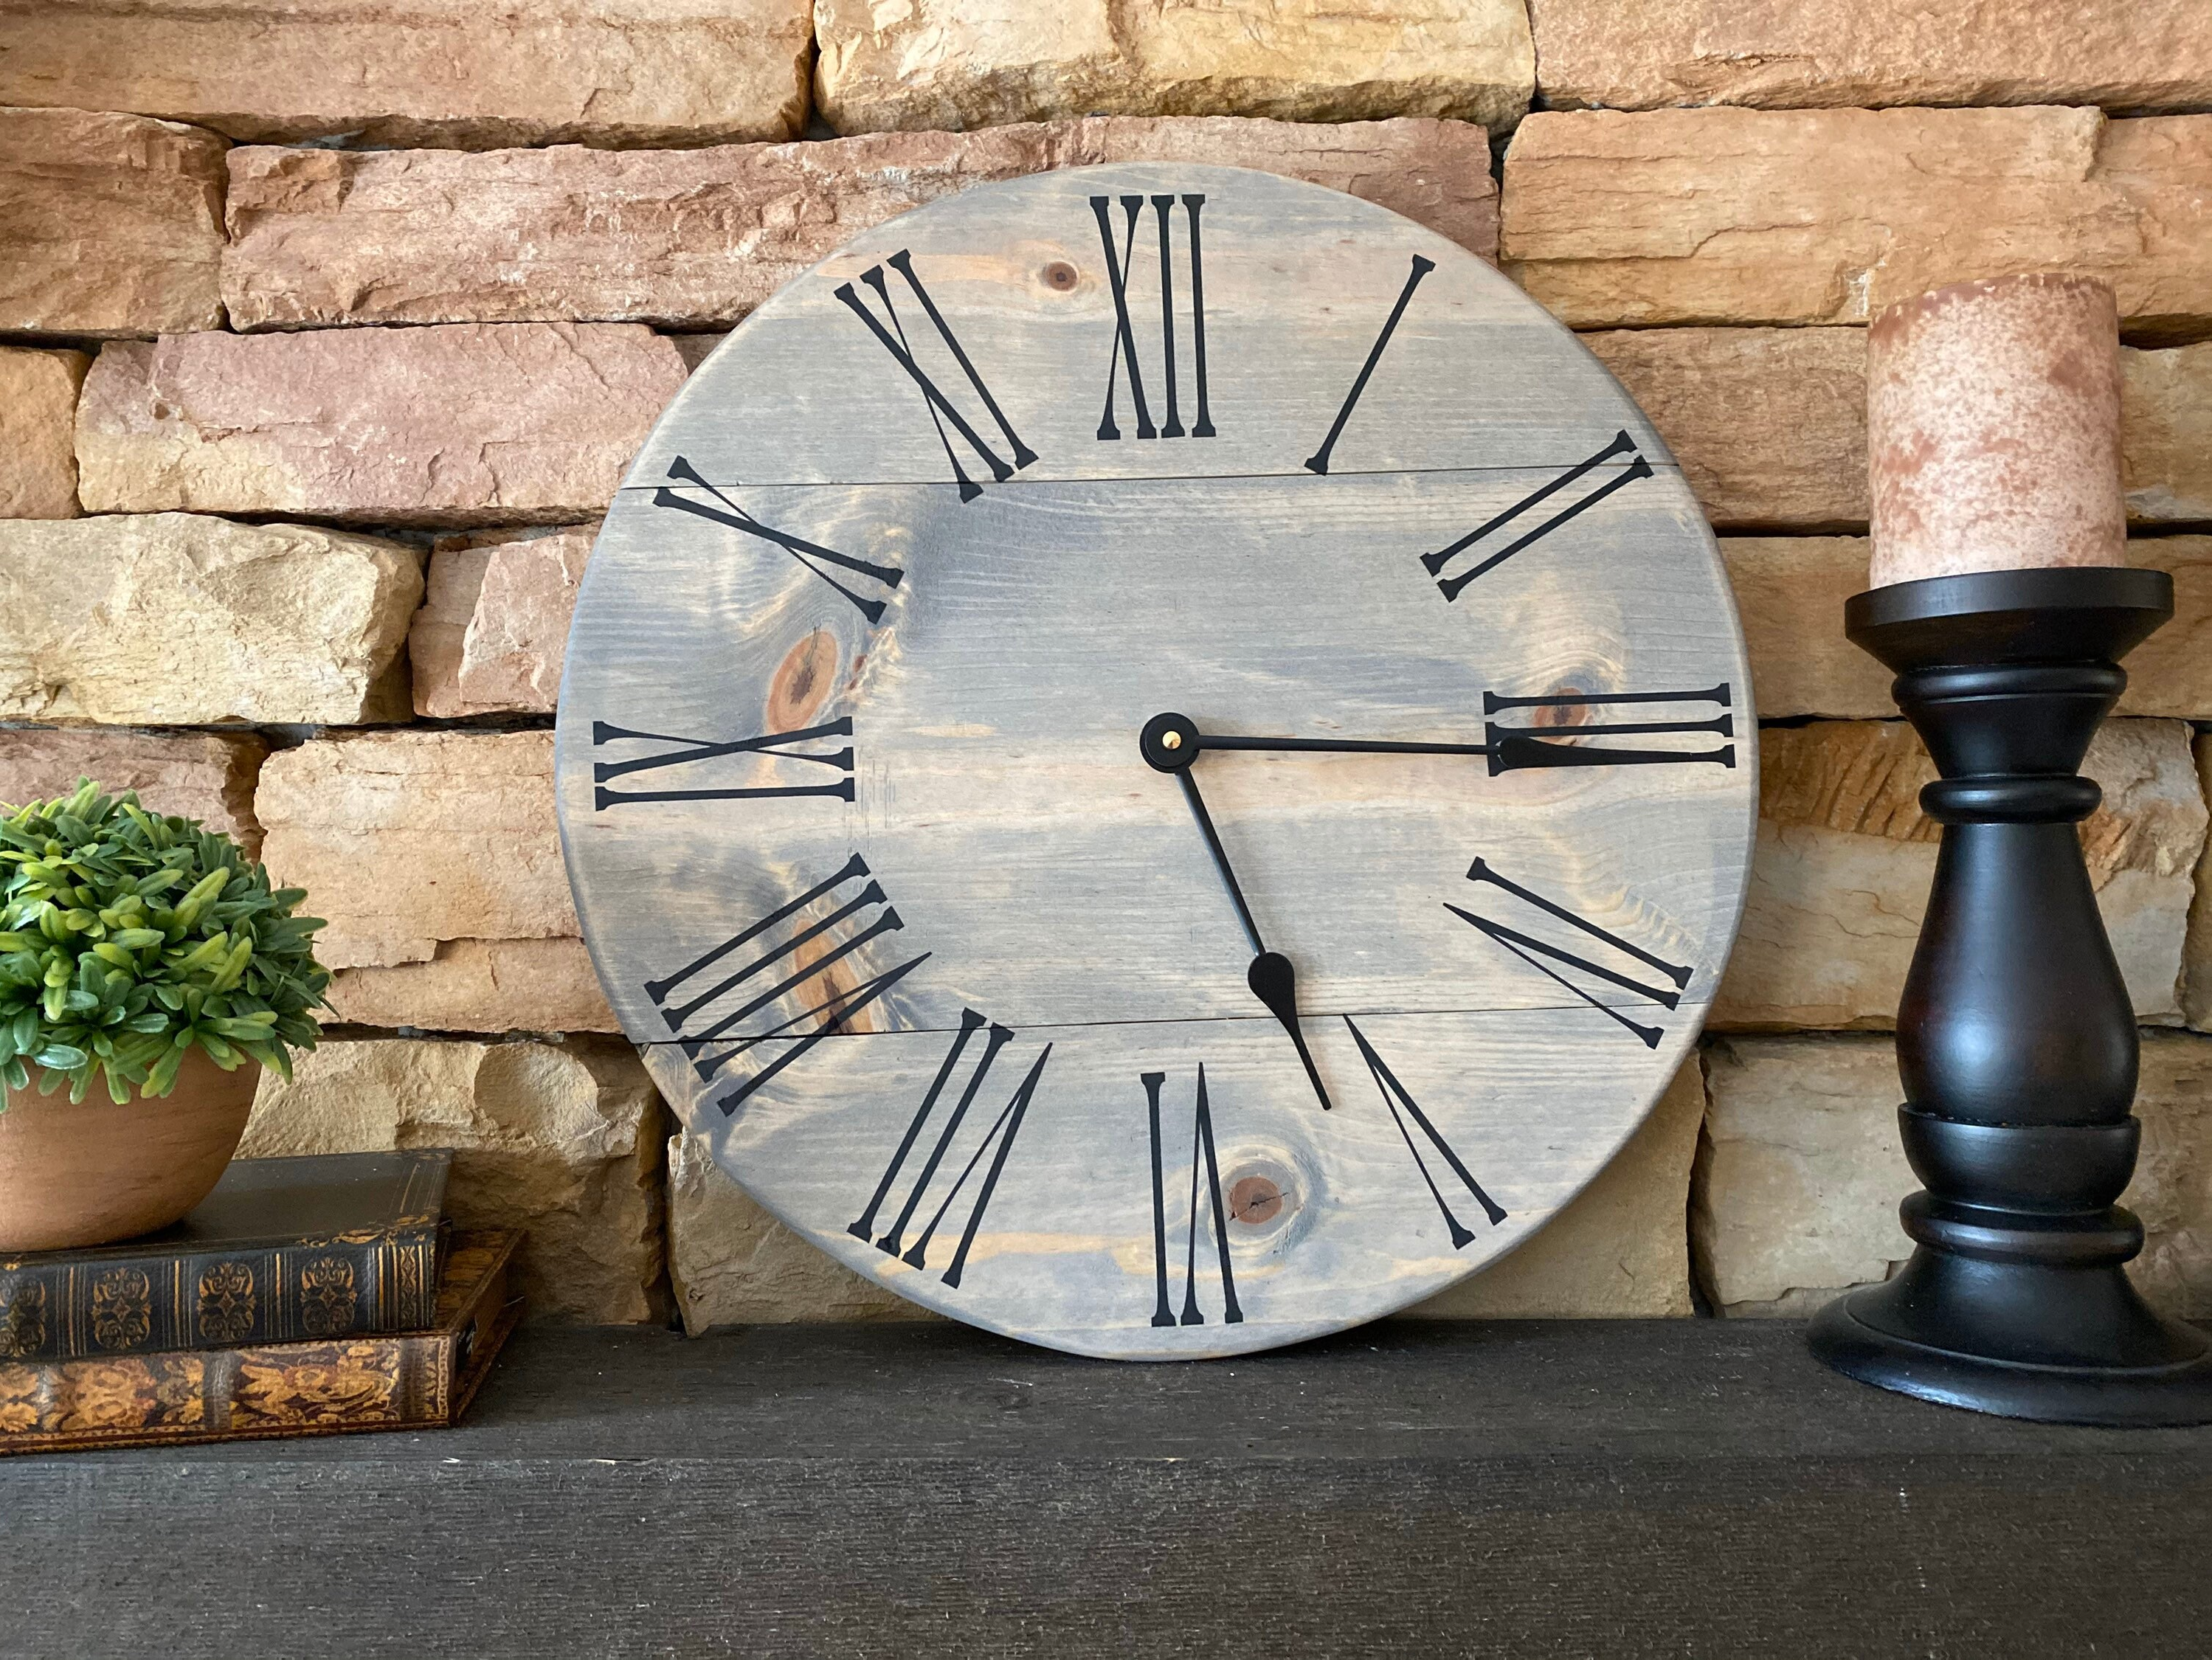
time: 5:15
